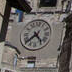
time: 4:37
